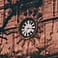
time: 7:15
